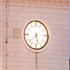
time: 5:37
